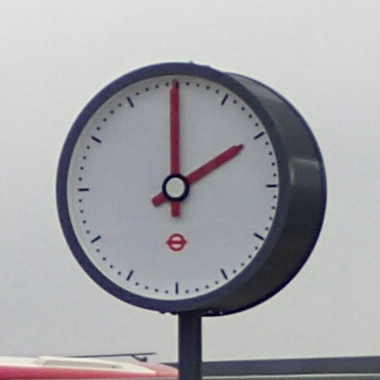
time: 1:59
